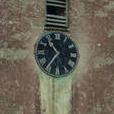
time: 10:36
